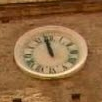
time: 11:58
